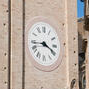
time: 3:43
